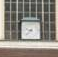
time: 9:38
